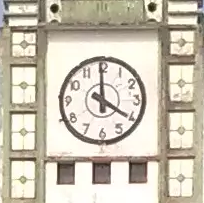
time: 3:59
